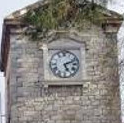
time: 5:11
